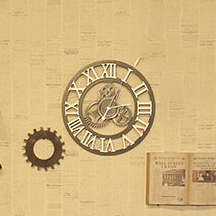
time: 7:04
